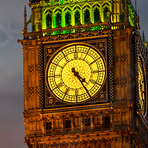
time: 4:24
